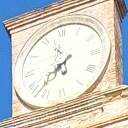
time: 7:37
